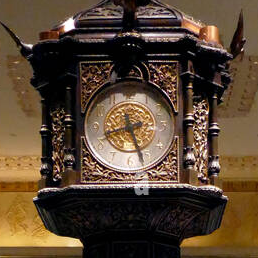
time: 8:26
